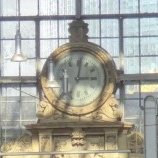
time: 3:01
